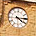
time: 4:14
